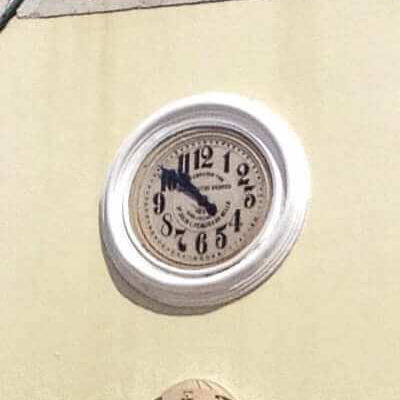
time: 10:51
